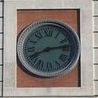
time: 8:12
